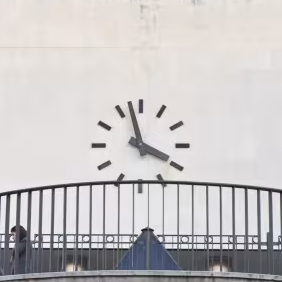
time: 3:57
